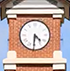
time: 4:30
